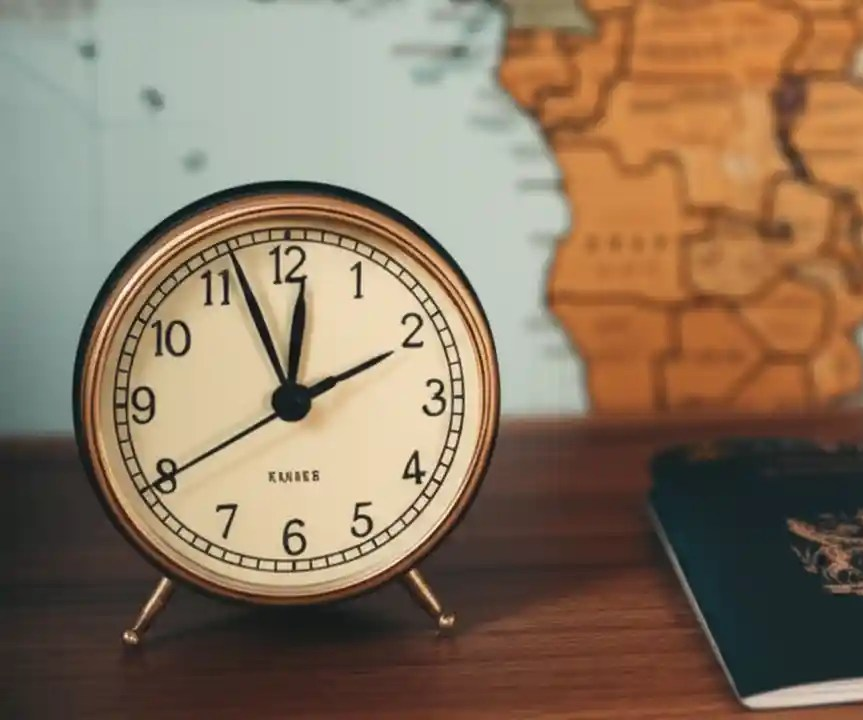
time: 11:56
